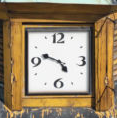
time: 4:48
